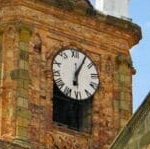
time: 6:05
